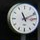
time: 11:11
